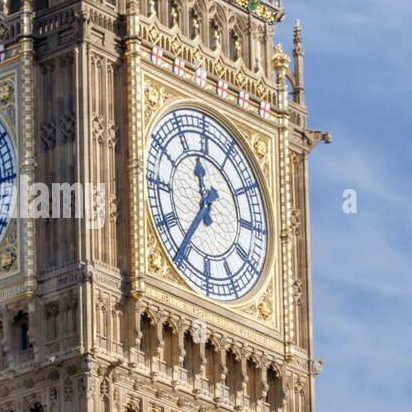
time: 11:35
